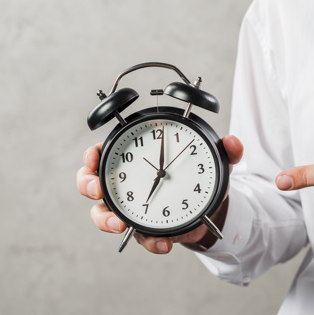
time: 7:01
